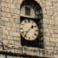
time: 1:36
